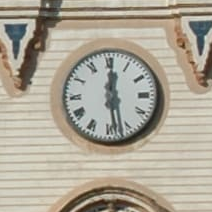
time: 12:28
